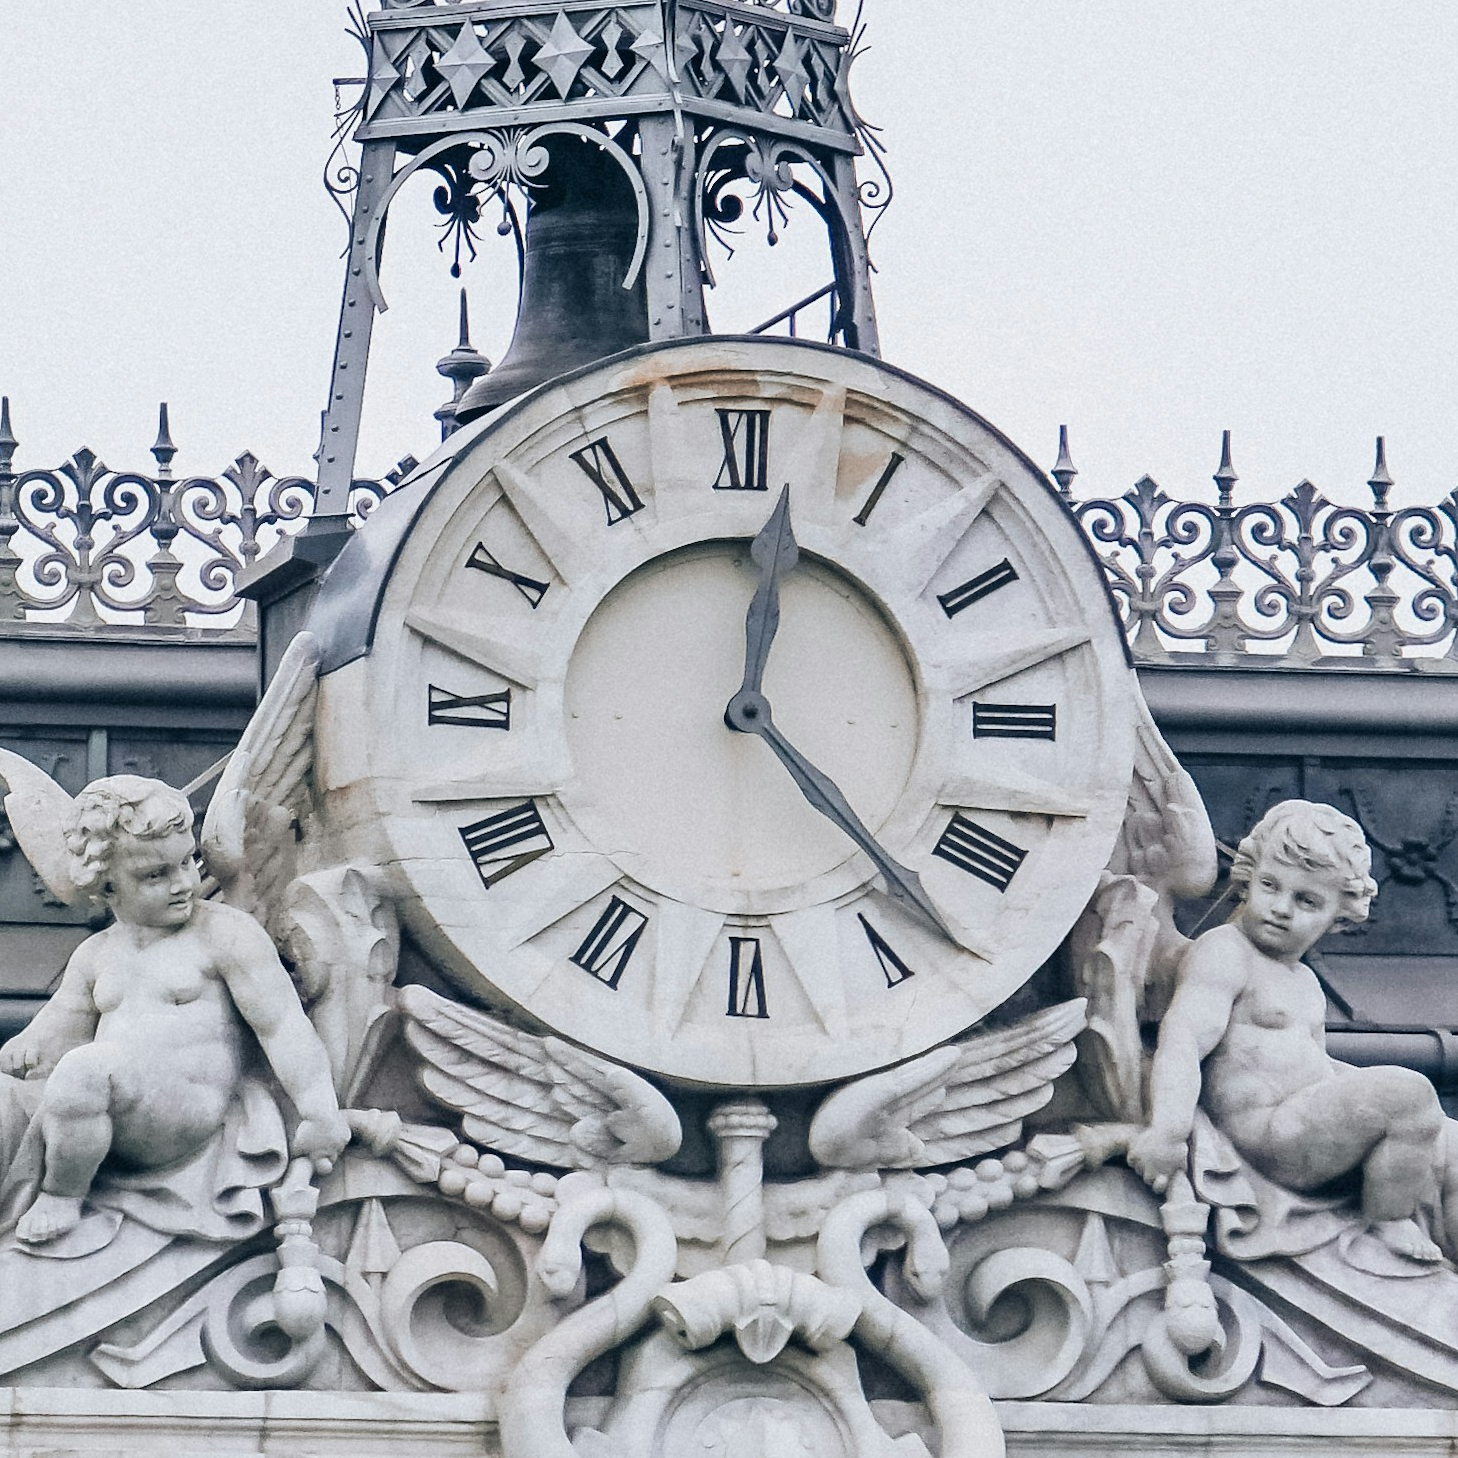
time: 12:23
